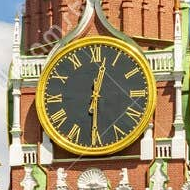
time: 12:30
